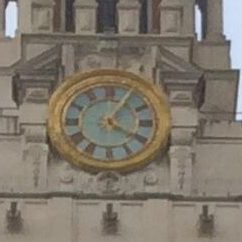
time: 4:05
